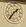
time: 1:36
